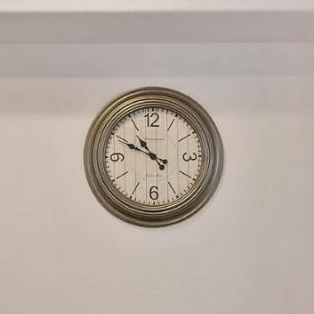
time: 10:49
